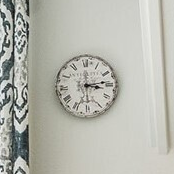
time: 3:13
